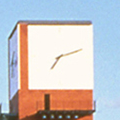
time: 7:11
